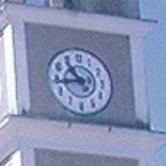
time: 10:43
